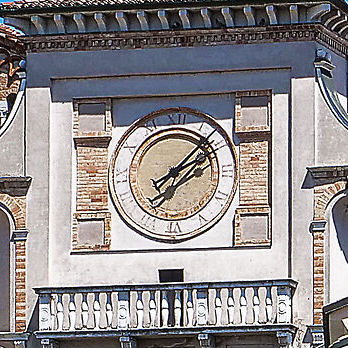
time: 2:07
